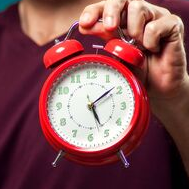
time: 5:08
